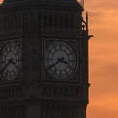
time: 3:39
